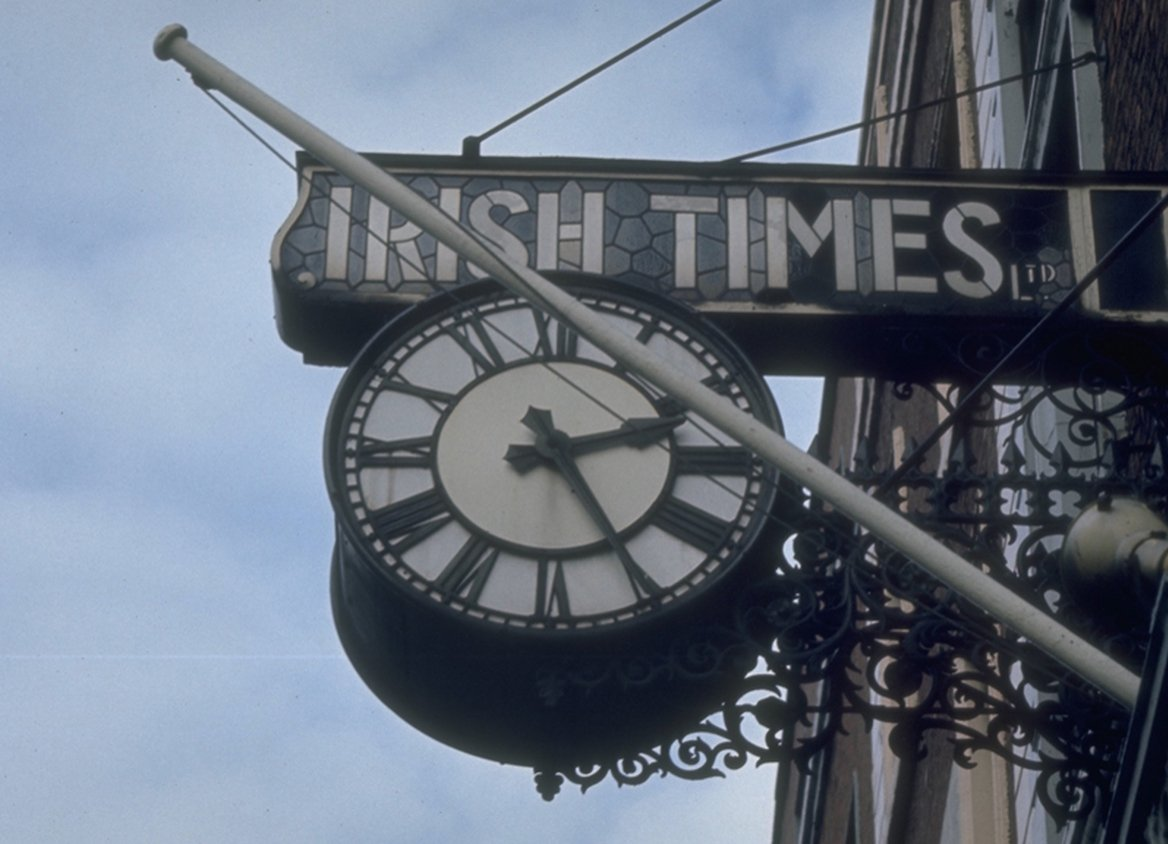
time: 2:25
